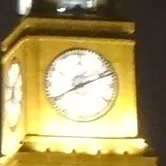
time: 8:11
